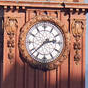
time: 2:38
